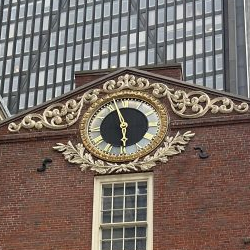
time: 5:57
